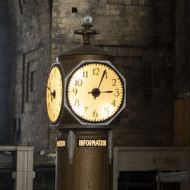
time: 3:03
